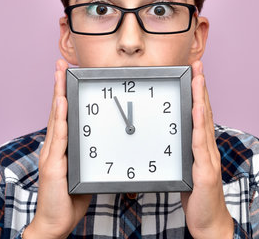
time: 11:55
